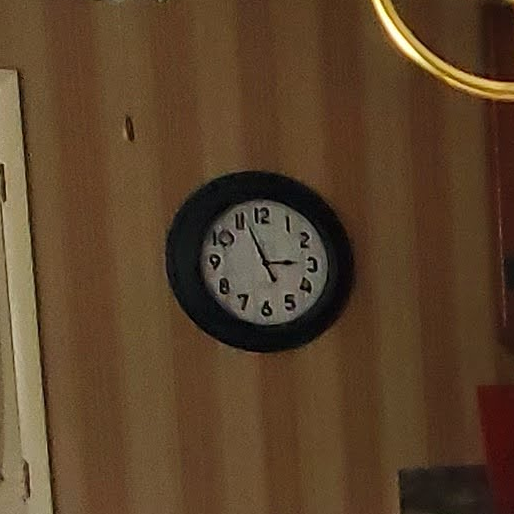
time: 2:56
